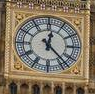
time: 12:23
